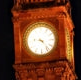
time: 9:23
